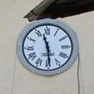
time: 11:29
